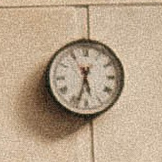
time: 5:33
